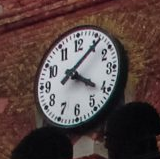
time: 4:07
